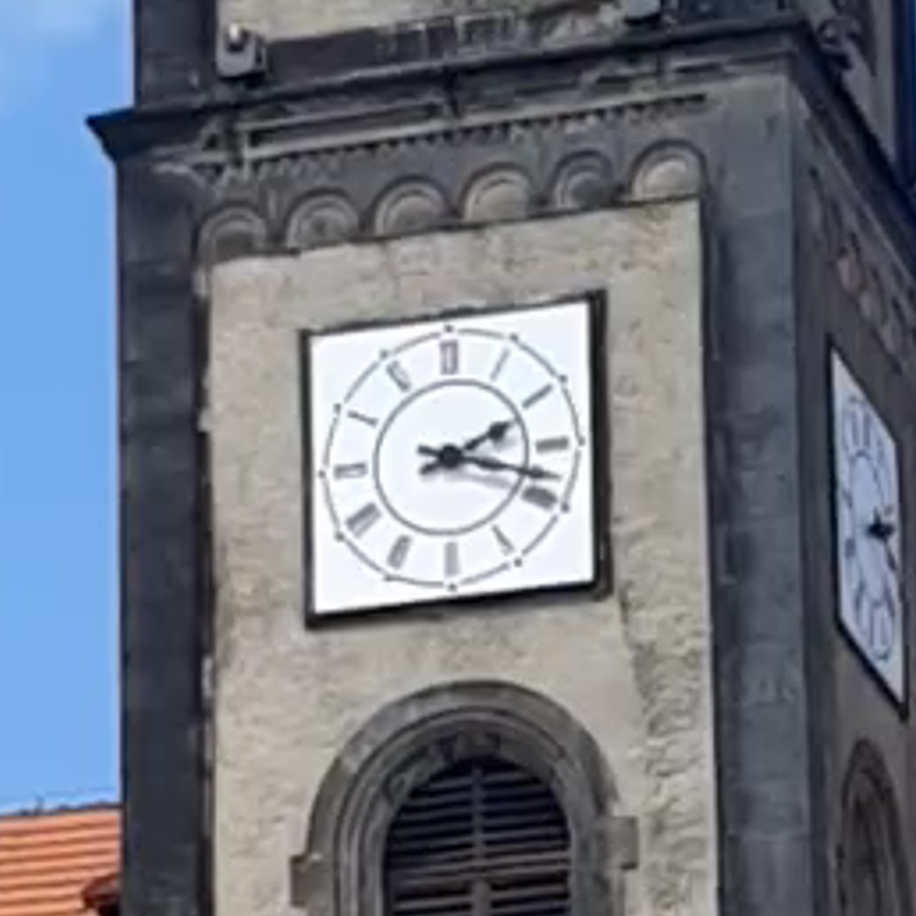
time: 2:18
